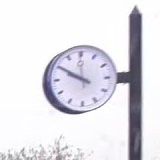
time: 9:50
